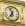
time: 6:56
